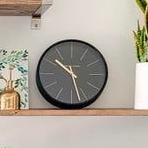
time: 10:27
